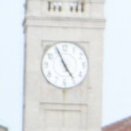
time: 4:56
